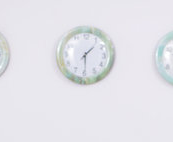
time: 1:29
